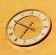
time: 6:49
